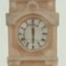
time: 5:59
